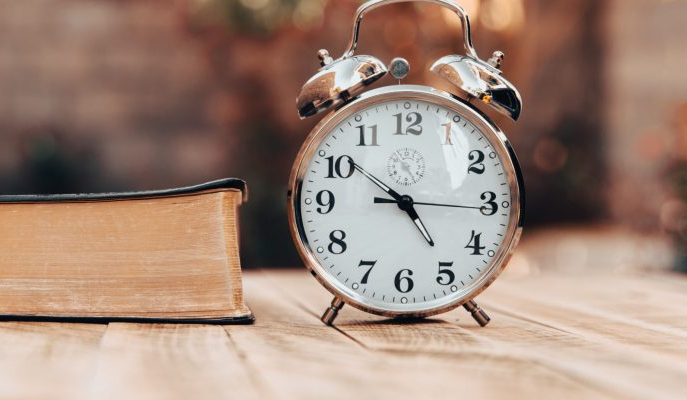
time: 4:51
